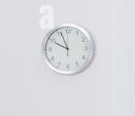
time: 9:56
